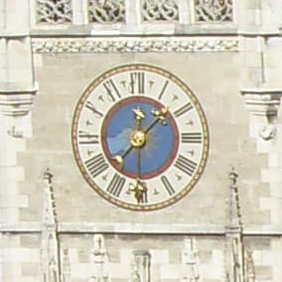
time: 12:07
